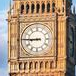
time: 8:45
